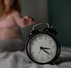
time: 3:22
